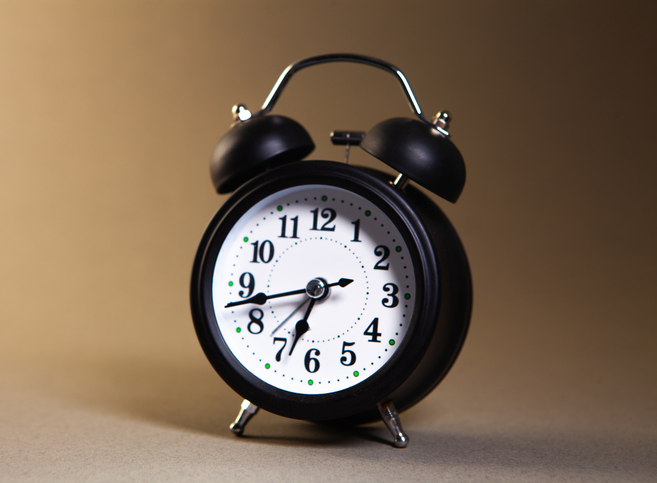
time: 6:42
